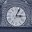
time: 3:04
